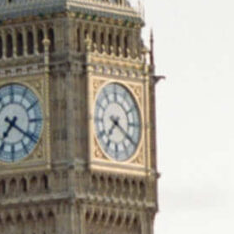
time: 7:20
